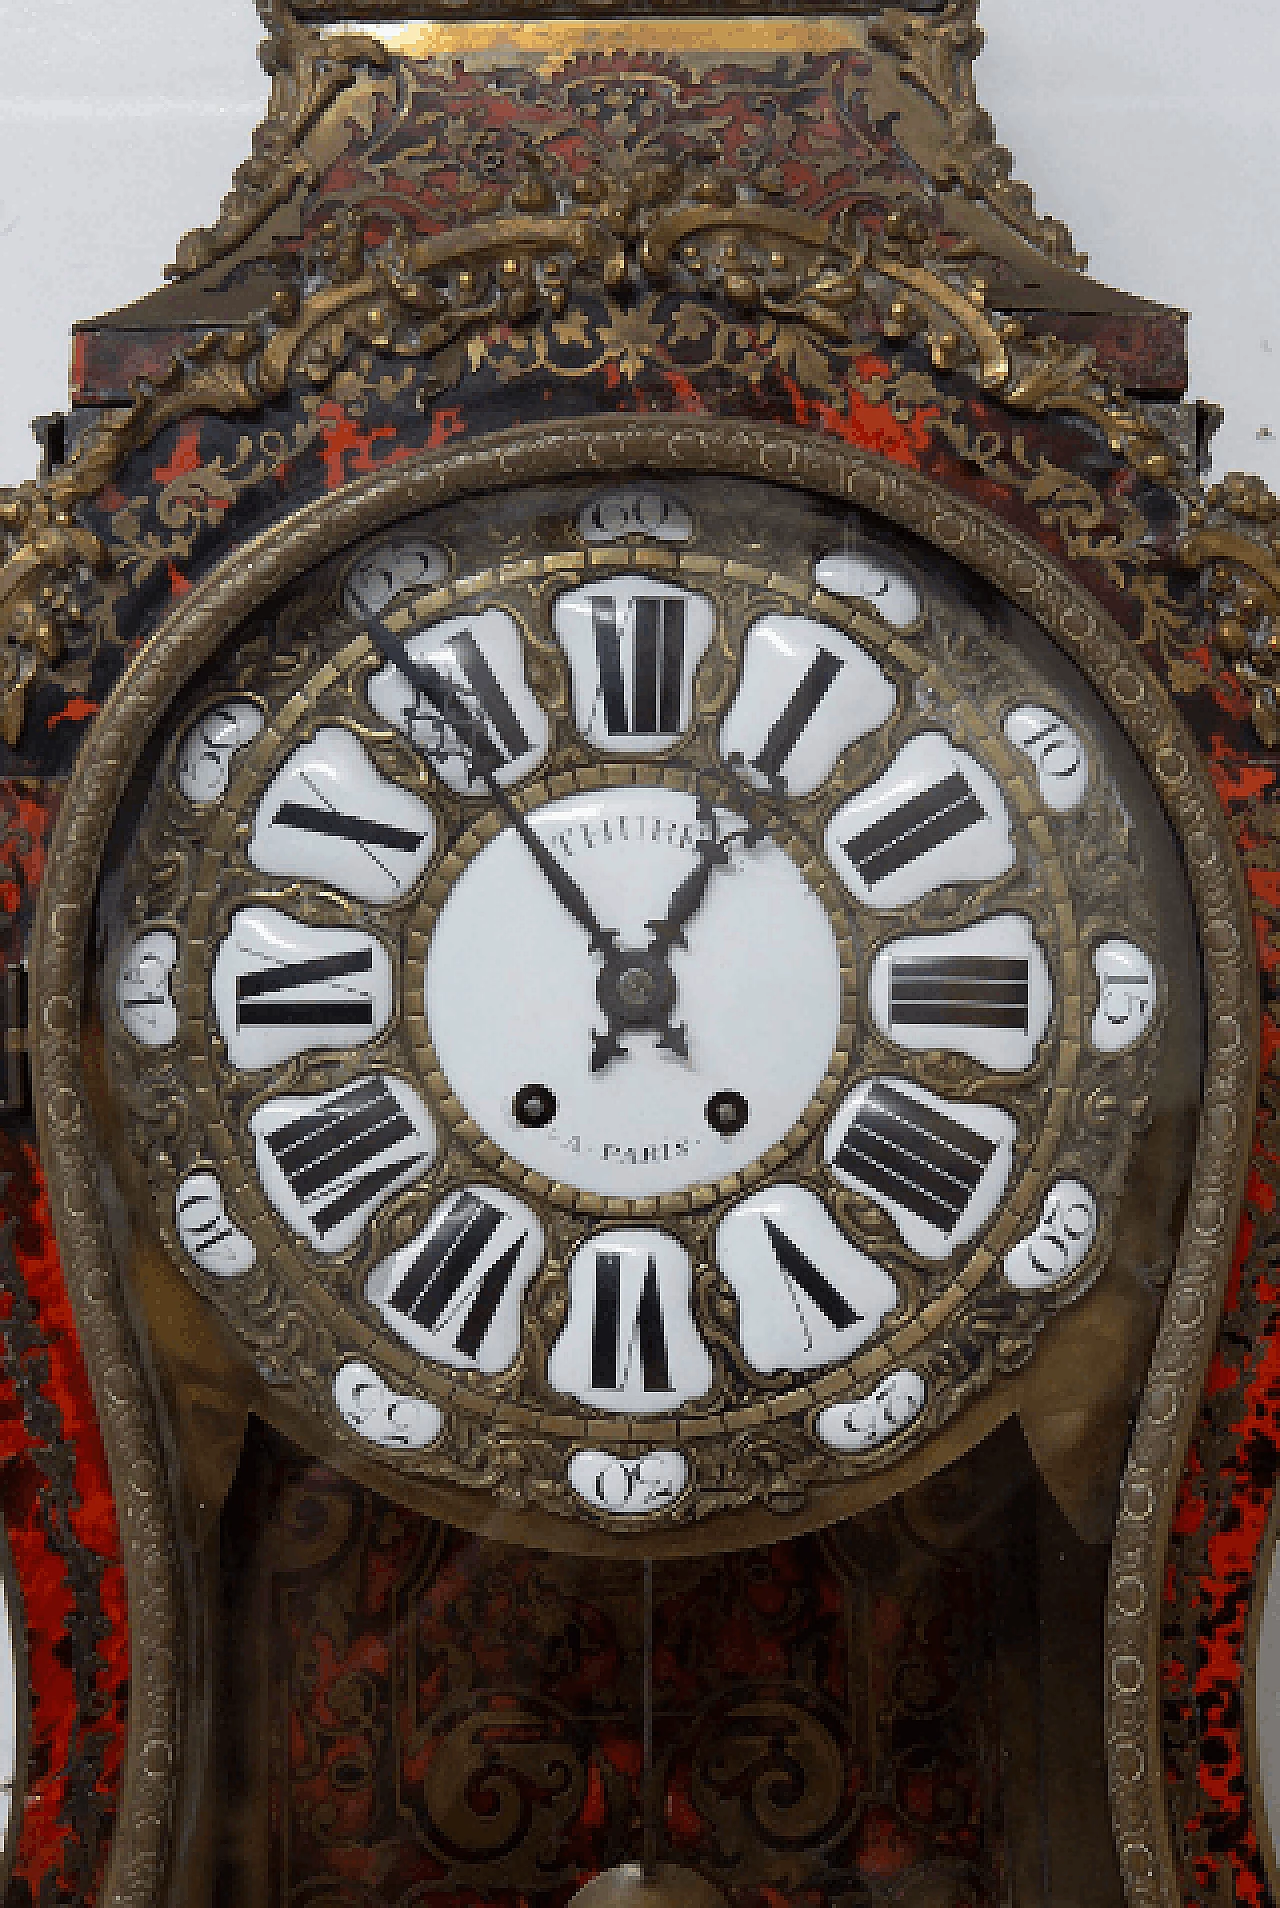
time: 12:53
